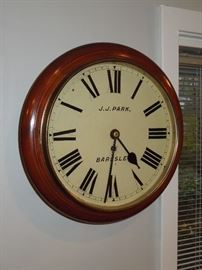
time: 4:31
